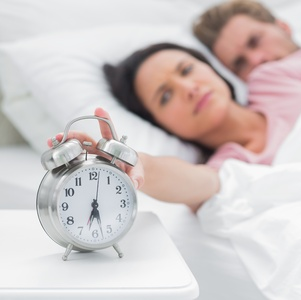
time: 5:33
